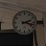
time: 2:18
